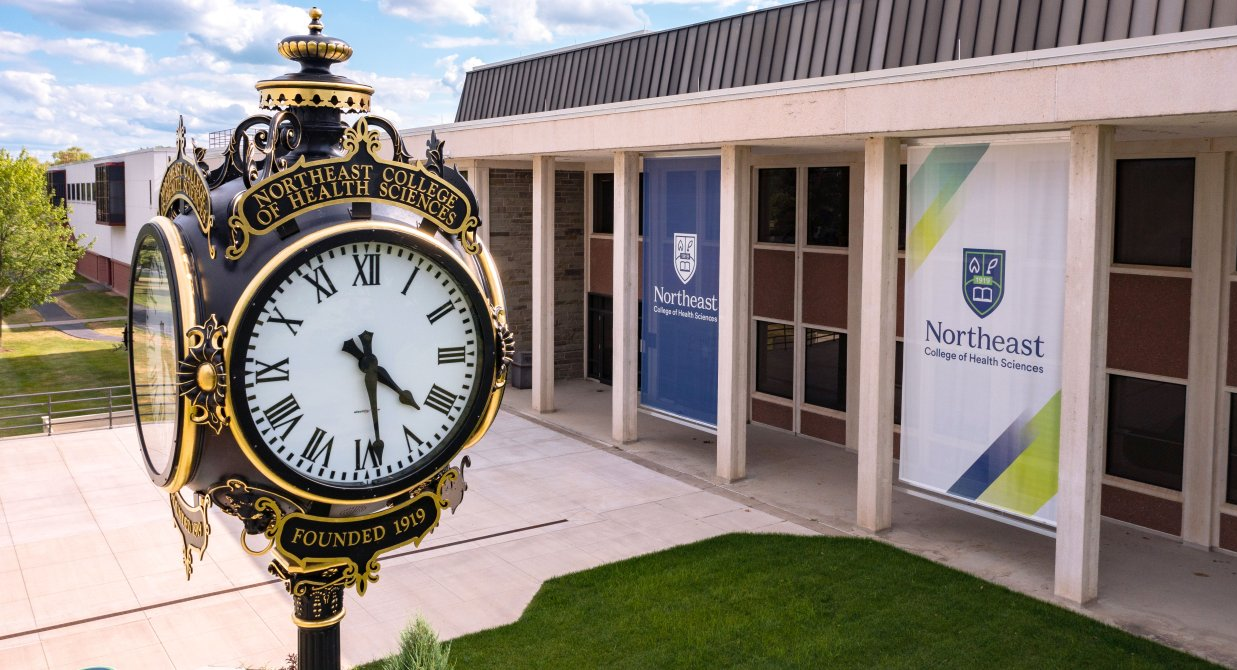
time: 4:28
